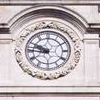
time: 9:45
